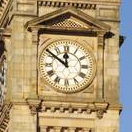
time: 11:51
